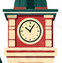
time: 10:05
